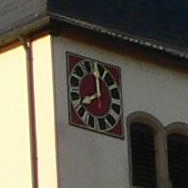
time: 8:00
